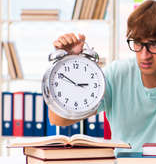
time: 2:50
